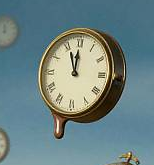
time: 11:55
